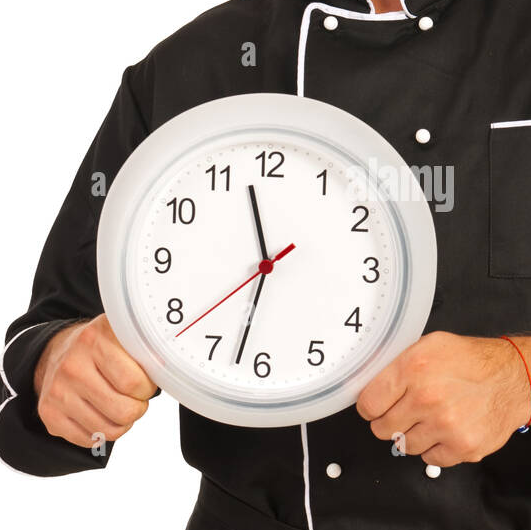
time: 11:32
